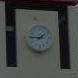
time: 1:45
